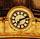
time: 7:11
